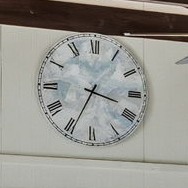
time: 3:34
